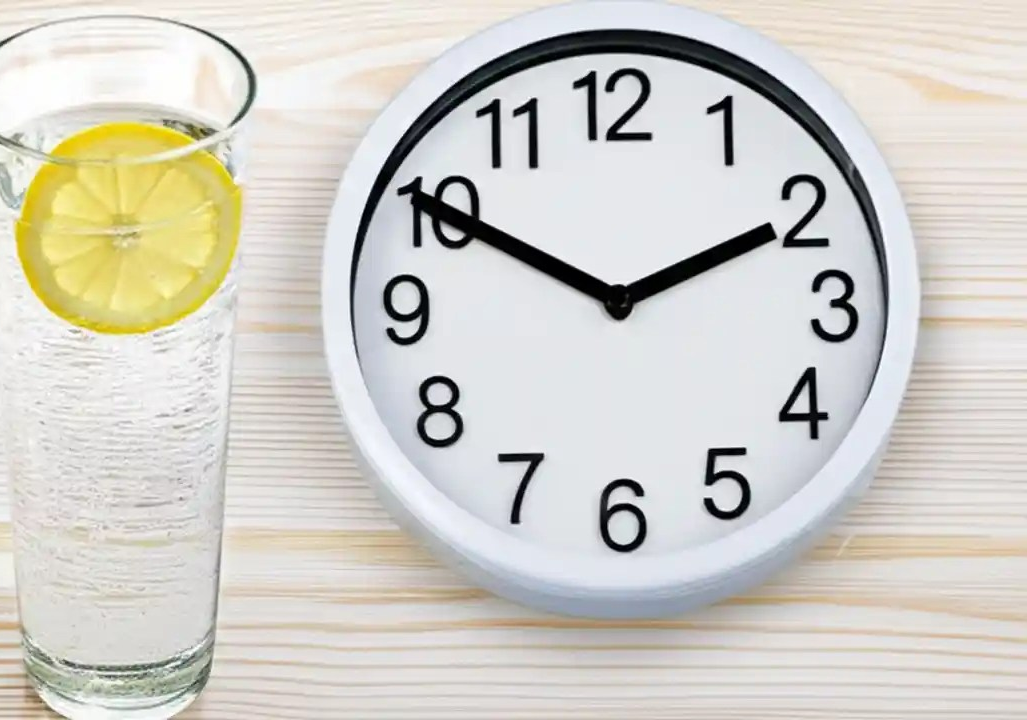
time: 1:50
